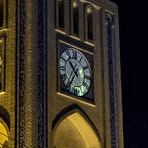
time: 10:35
